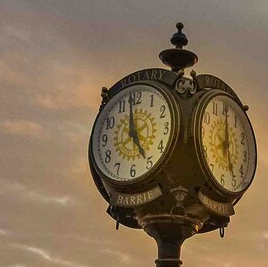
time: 4:58
